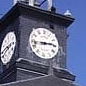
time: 2:43
